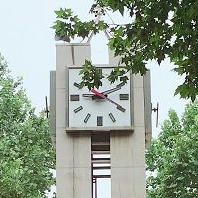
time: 9:11
